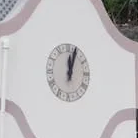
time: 12:03
